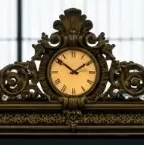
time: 1:51
